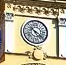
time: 10:20
